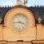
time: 3:43
